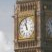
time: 10:58
